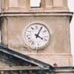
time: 4:04
